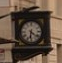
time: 6:21
